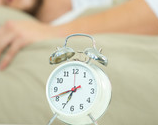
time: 6:41
